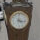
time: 4:16
